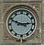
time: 2:48
